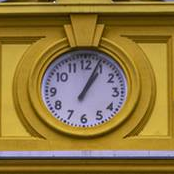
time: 1:04
